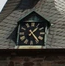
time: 1:23
